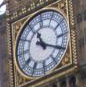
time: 11:19
